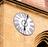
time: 6:03
